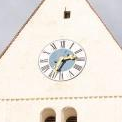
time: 2:34
